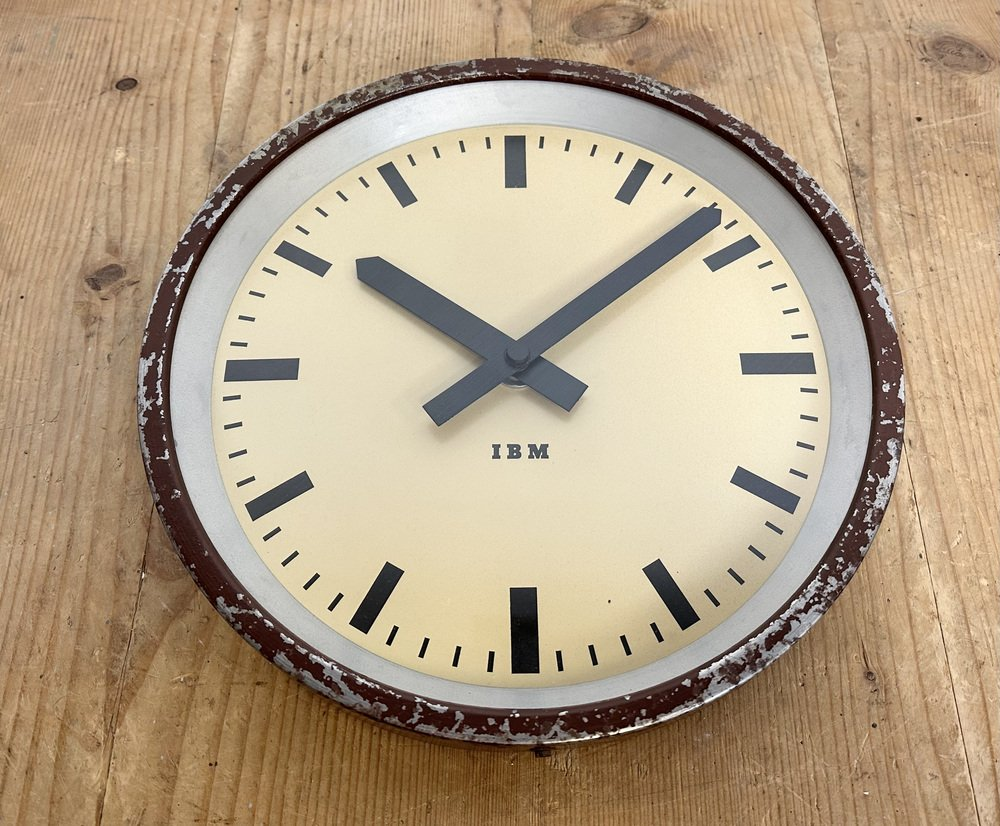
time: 10:08
